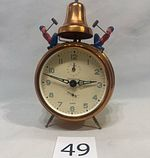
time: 2:48
